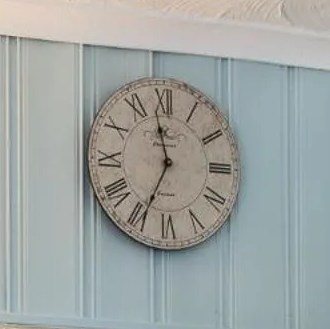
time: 11:34
